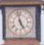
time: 4:57
